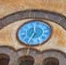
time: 11:32
